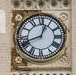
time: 12:41
